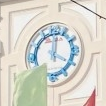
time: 4:00
